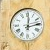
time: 12:13
